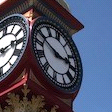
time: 2:48
